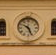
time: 10:26
